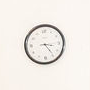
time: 3:24
